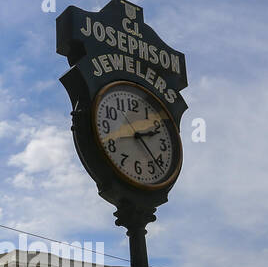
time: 2:22
